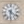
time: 6:21
